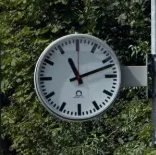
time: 11:12
